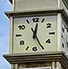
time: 12:25
